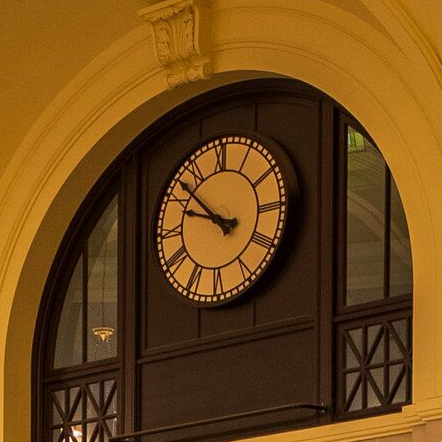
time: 9:52
